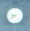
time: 9:39
